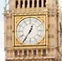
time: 12:35
